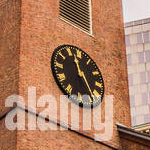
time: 11:24
